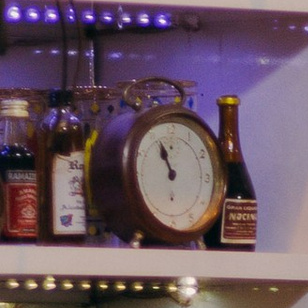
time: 10:56
